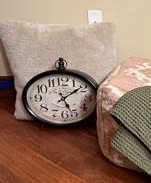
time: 5:08
